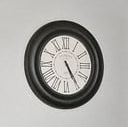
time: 5:24
